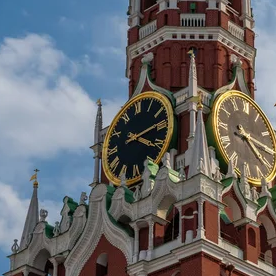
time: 4:13
